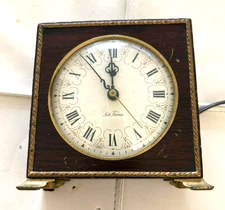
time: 11:53
